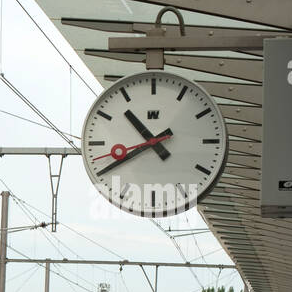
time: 10:39
